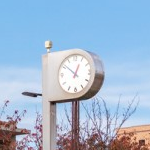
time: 12:51
